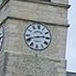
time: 2:41
